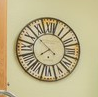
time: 7:51
